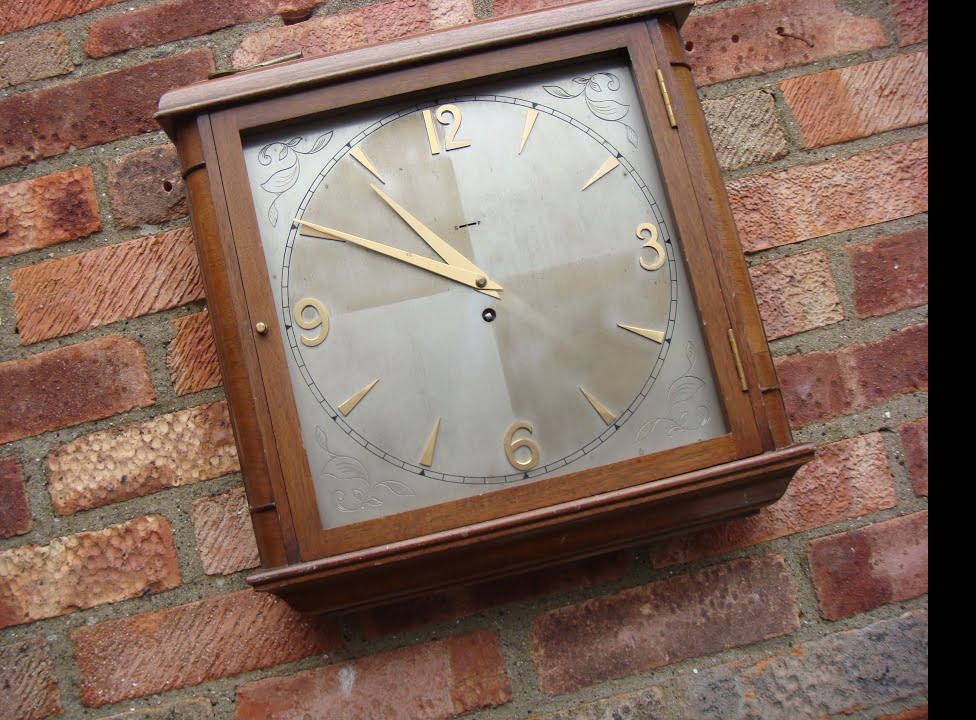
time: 10:50
